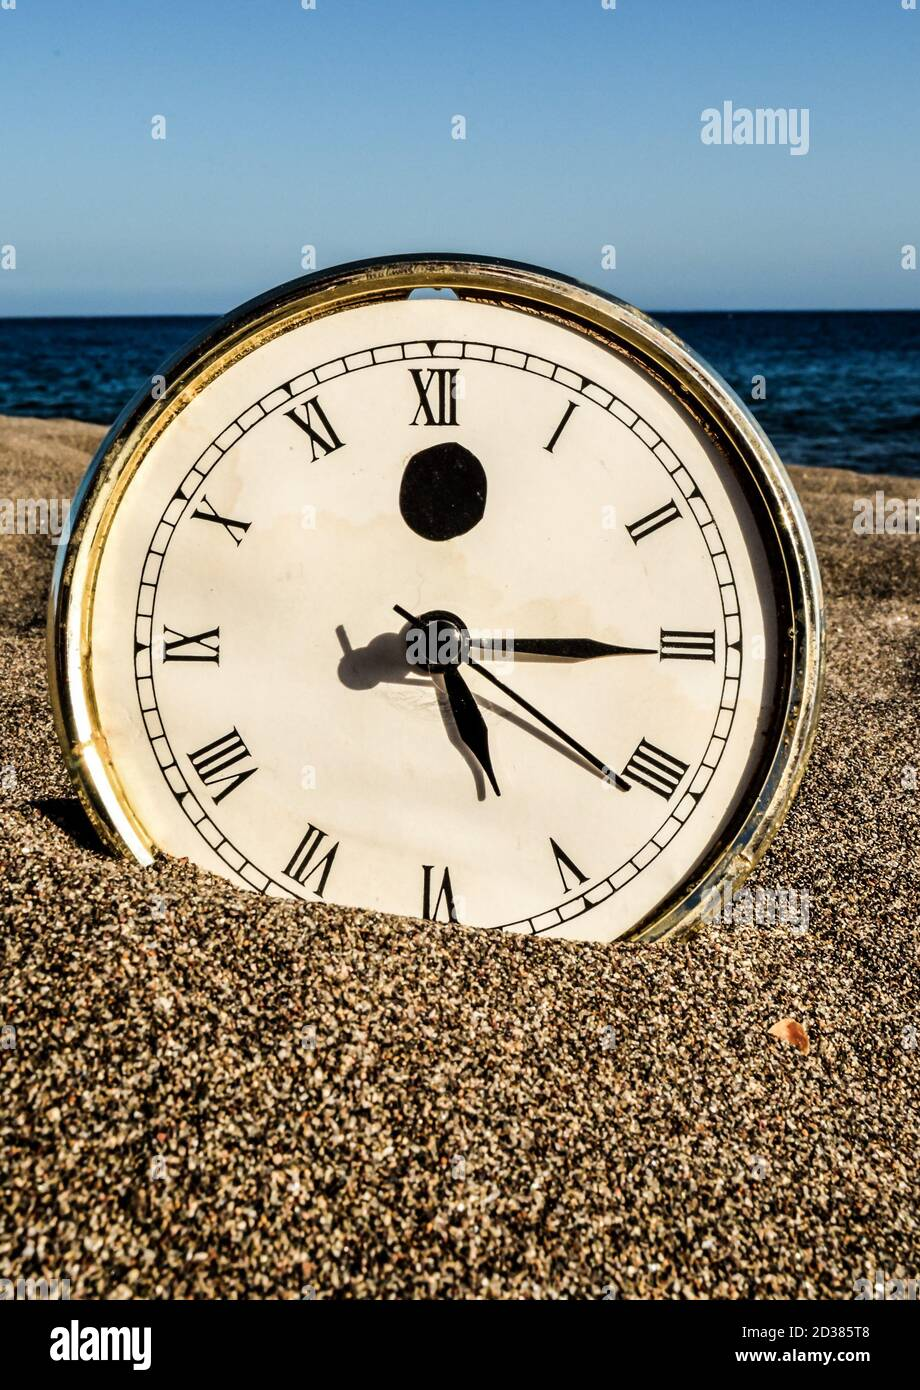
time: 5:15
